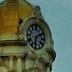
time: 6:10
